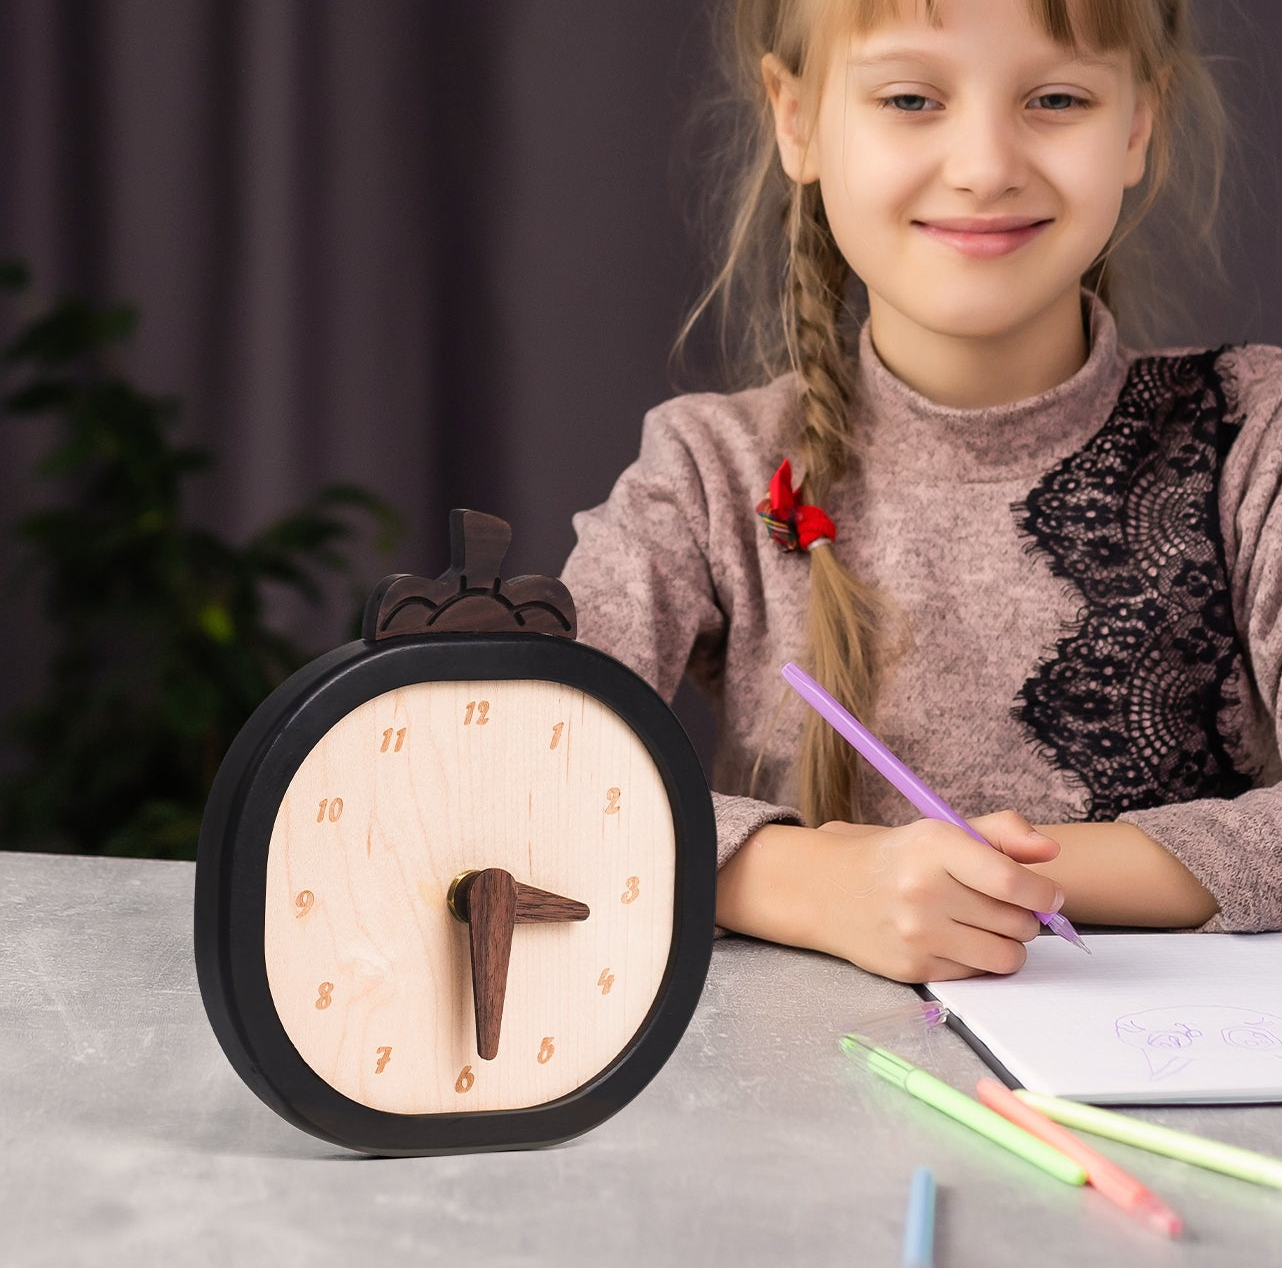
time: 3:29
